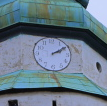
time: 2:09
